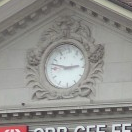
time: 2:47
